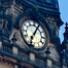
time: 7:05
